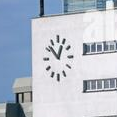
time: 12:52
